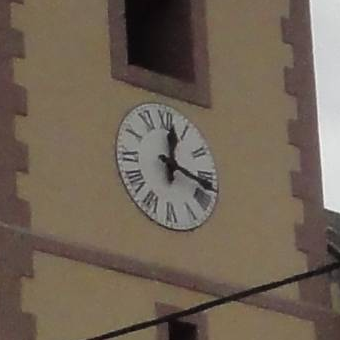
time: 12:17
